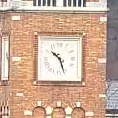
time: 10:26
